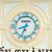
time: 8:33
